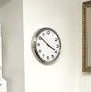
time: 3:51
